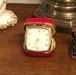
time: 7:32
